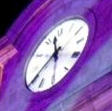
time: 11:39
